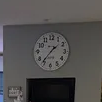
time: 1:36
